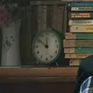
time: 11:51
